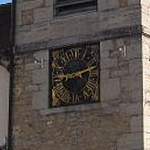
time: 8:11
